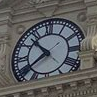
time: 10:39
